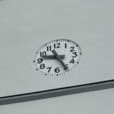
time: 9:25
